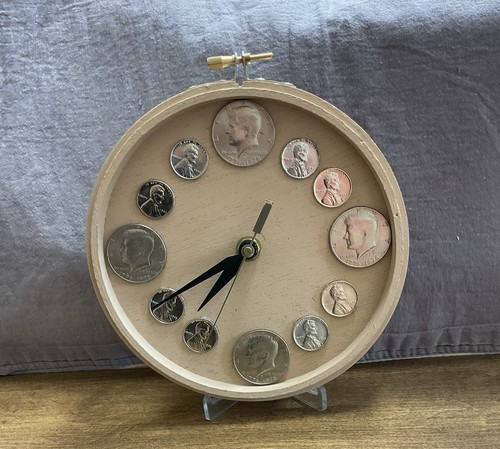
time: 7:40
